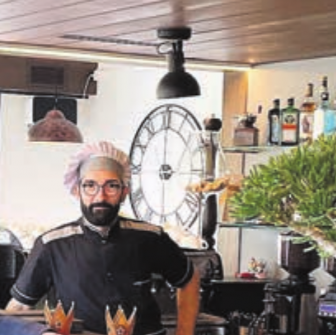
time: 5:59
